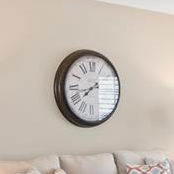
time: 7:42
